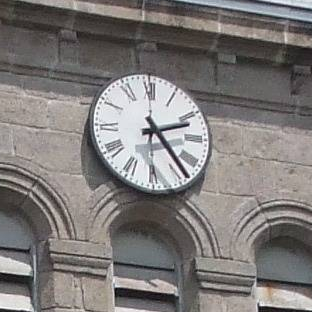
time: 2:23
